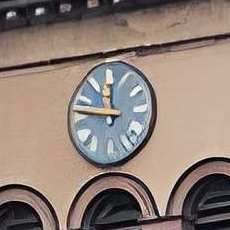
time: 11:47
